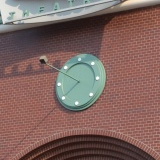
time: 7:49
